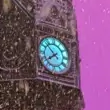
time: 7:52
